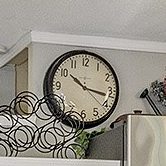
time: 10:17
